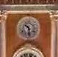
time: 10:28
